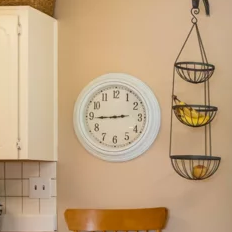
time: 2:44
